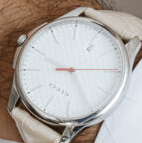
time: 9:25
